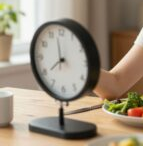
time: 7:58
